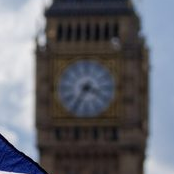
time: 3:35
